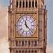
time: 11:22
